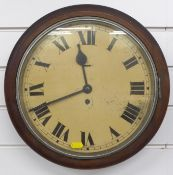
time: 11:41
